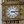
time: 3:14
